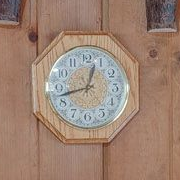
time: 12:42
